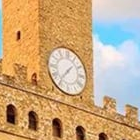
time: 1:36
